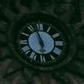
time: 5:57
